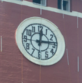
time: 12:14
